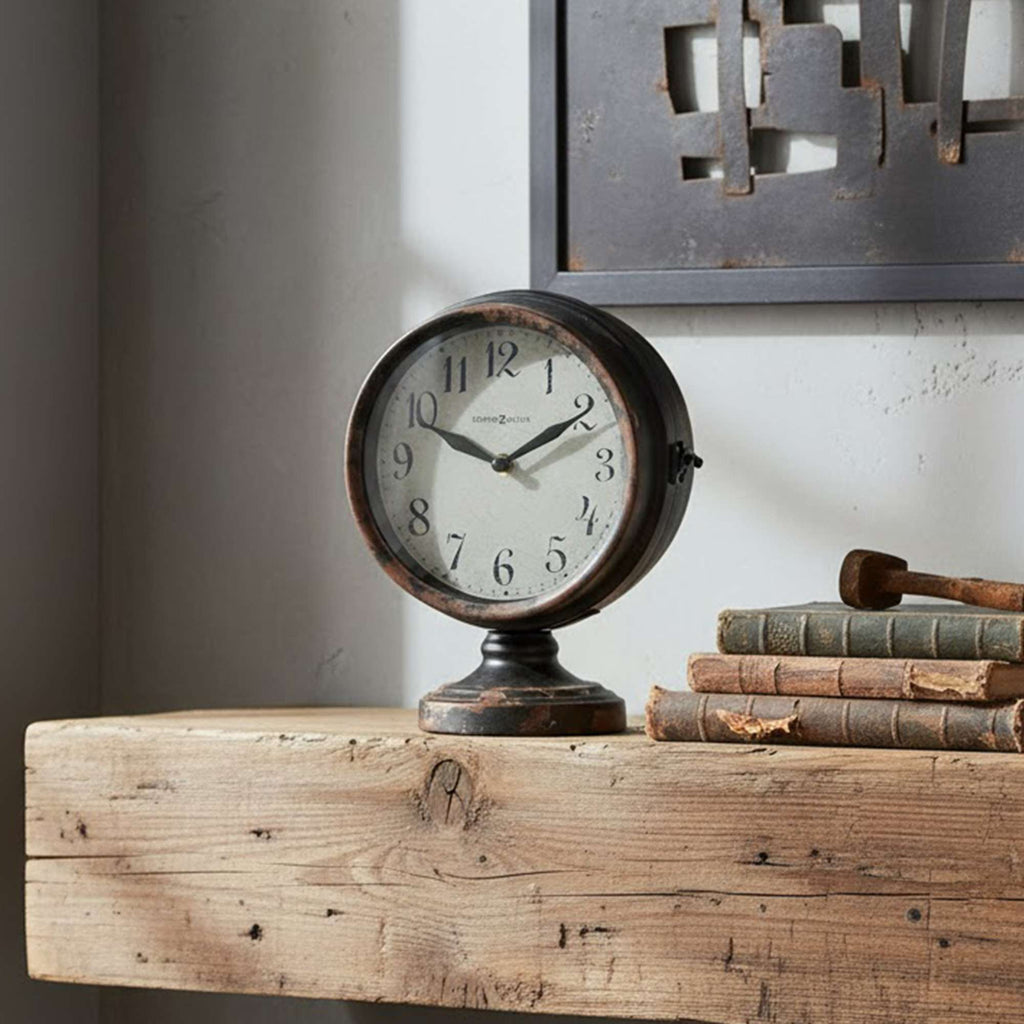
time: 1:49
